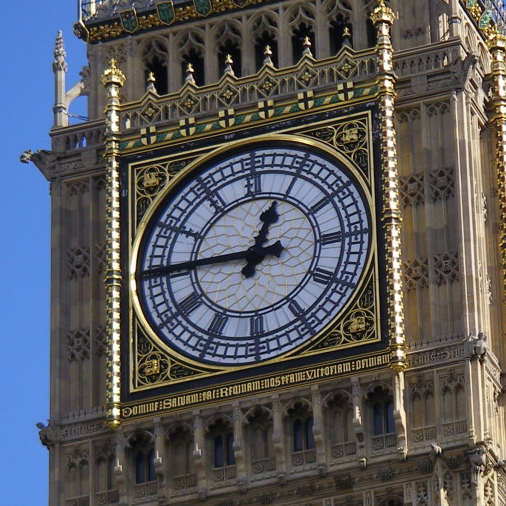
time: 12:45
